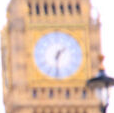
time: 1:31
